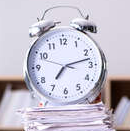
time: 7:12
